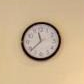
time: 11:38
